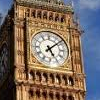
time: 5:08
